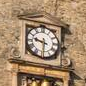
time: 9:30
